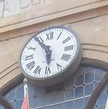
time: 5:54
